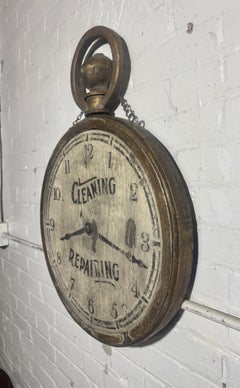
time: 8:17
